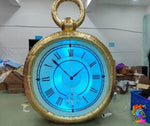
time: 1:52
